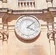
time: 4:08
